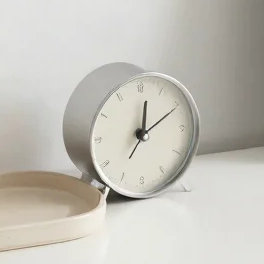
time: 12:10
